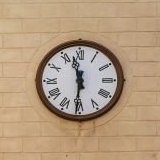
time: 11:31
